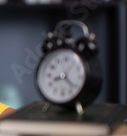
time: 8:22
